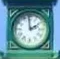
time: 1:59
